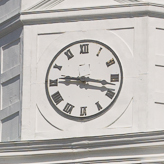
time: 9:17
